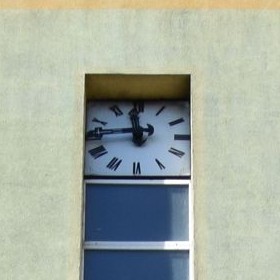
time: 11:44
